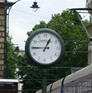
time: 12:45
